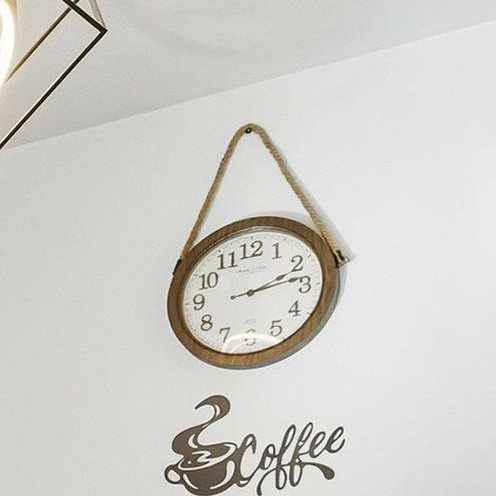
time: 2:12
